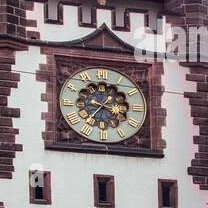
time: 3:36
